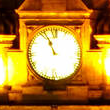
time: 10:56
